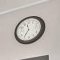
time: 11:35
